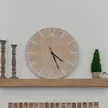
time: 4:26
